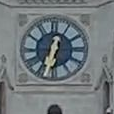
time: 12:32
